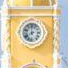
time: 7:59
